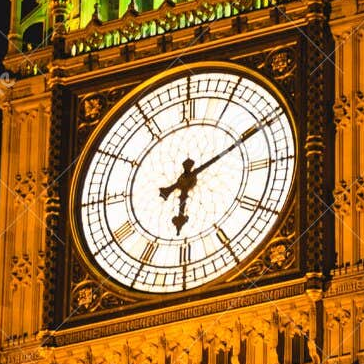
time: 6:10
